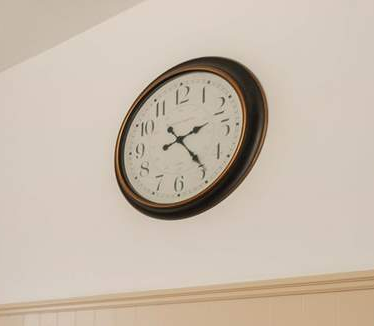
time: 2:23
